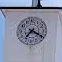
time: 7:19
